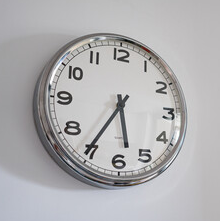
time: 5:35
